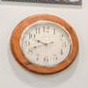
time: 9:41
